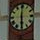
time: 6:00
